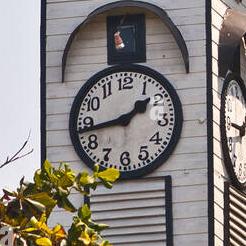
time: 1:43
